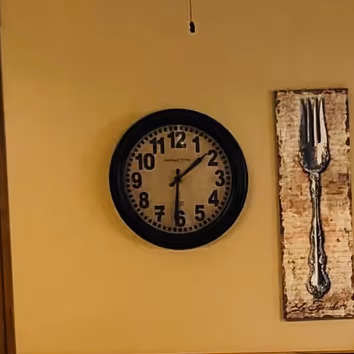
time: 1:31
